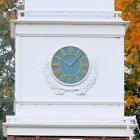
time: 10:07
